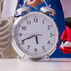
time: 5:41
